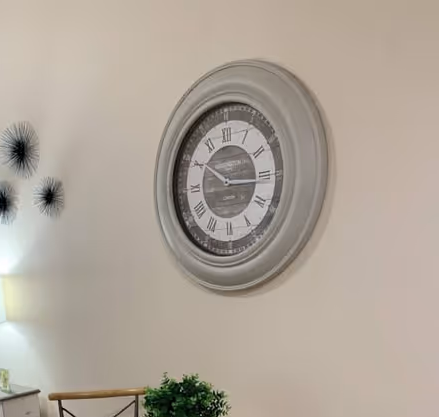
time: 10:15
